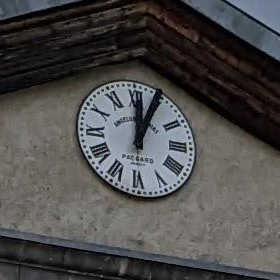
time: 12:04
